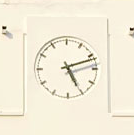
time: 5:11
